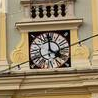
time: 3:59
